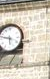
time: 5:47
